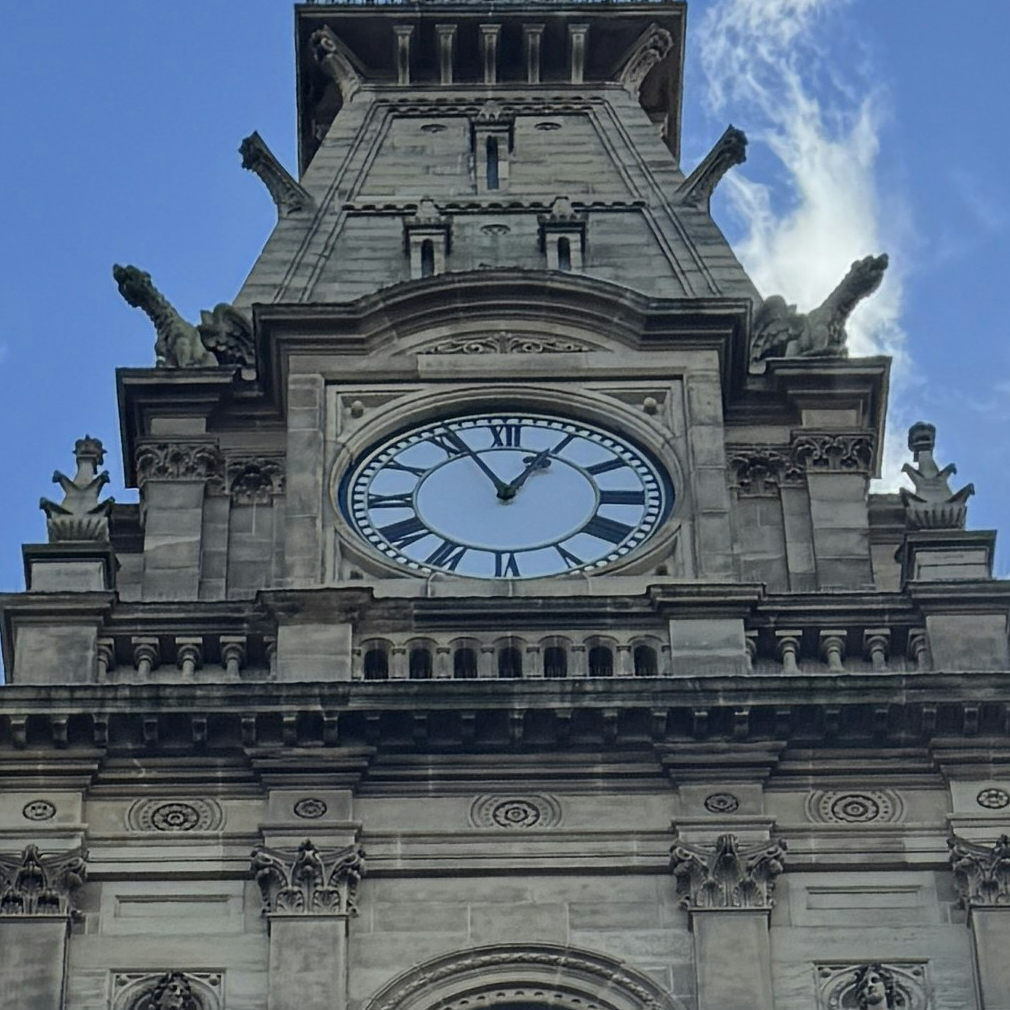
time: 12:55
